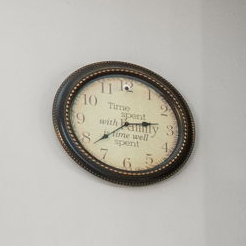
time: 2:38
